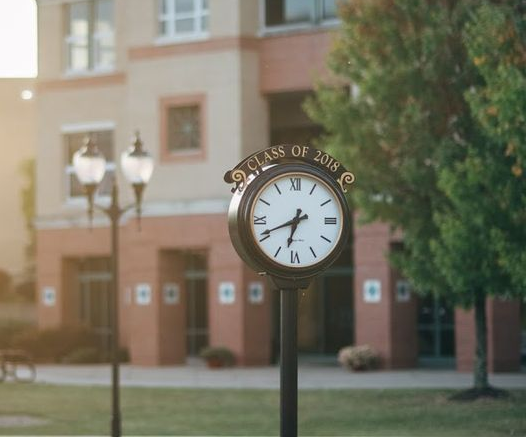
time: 6:41
